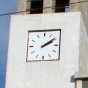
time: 2:09
